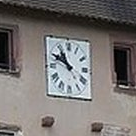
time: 10:49
